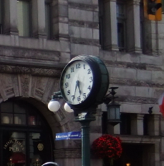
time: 5:33
